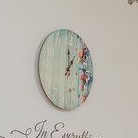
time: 12:07
